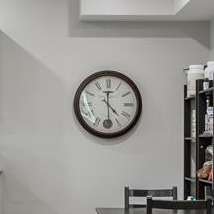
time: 4:29
